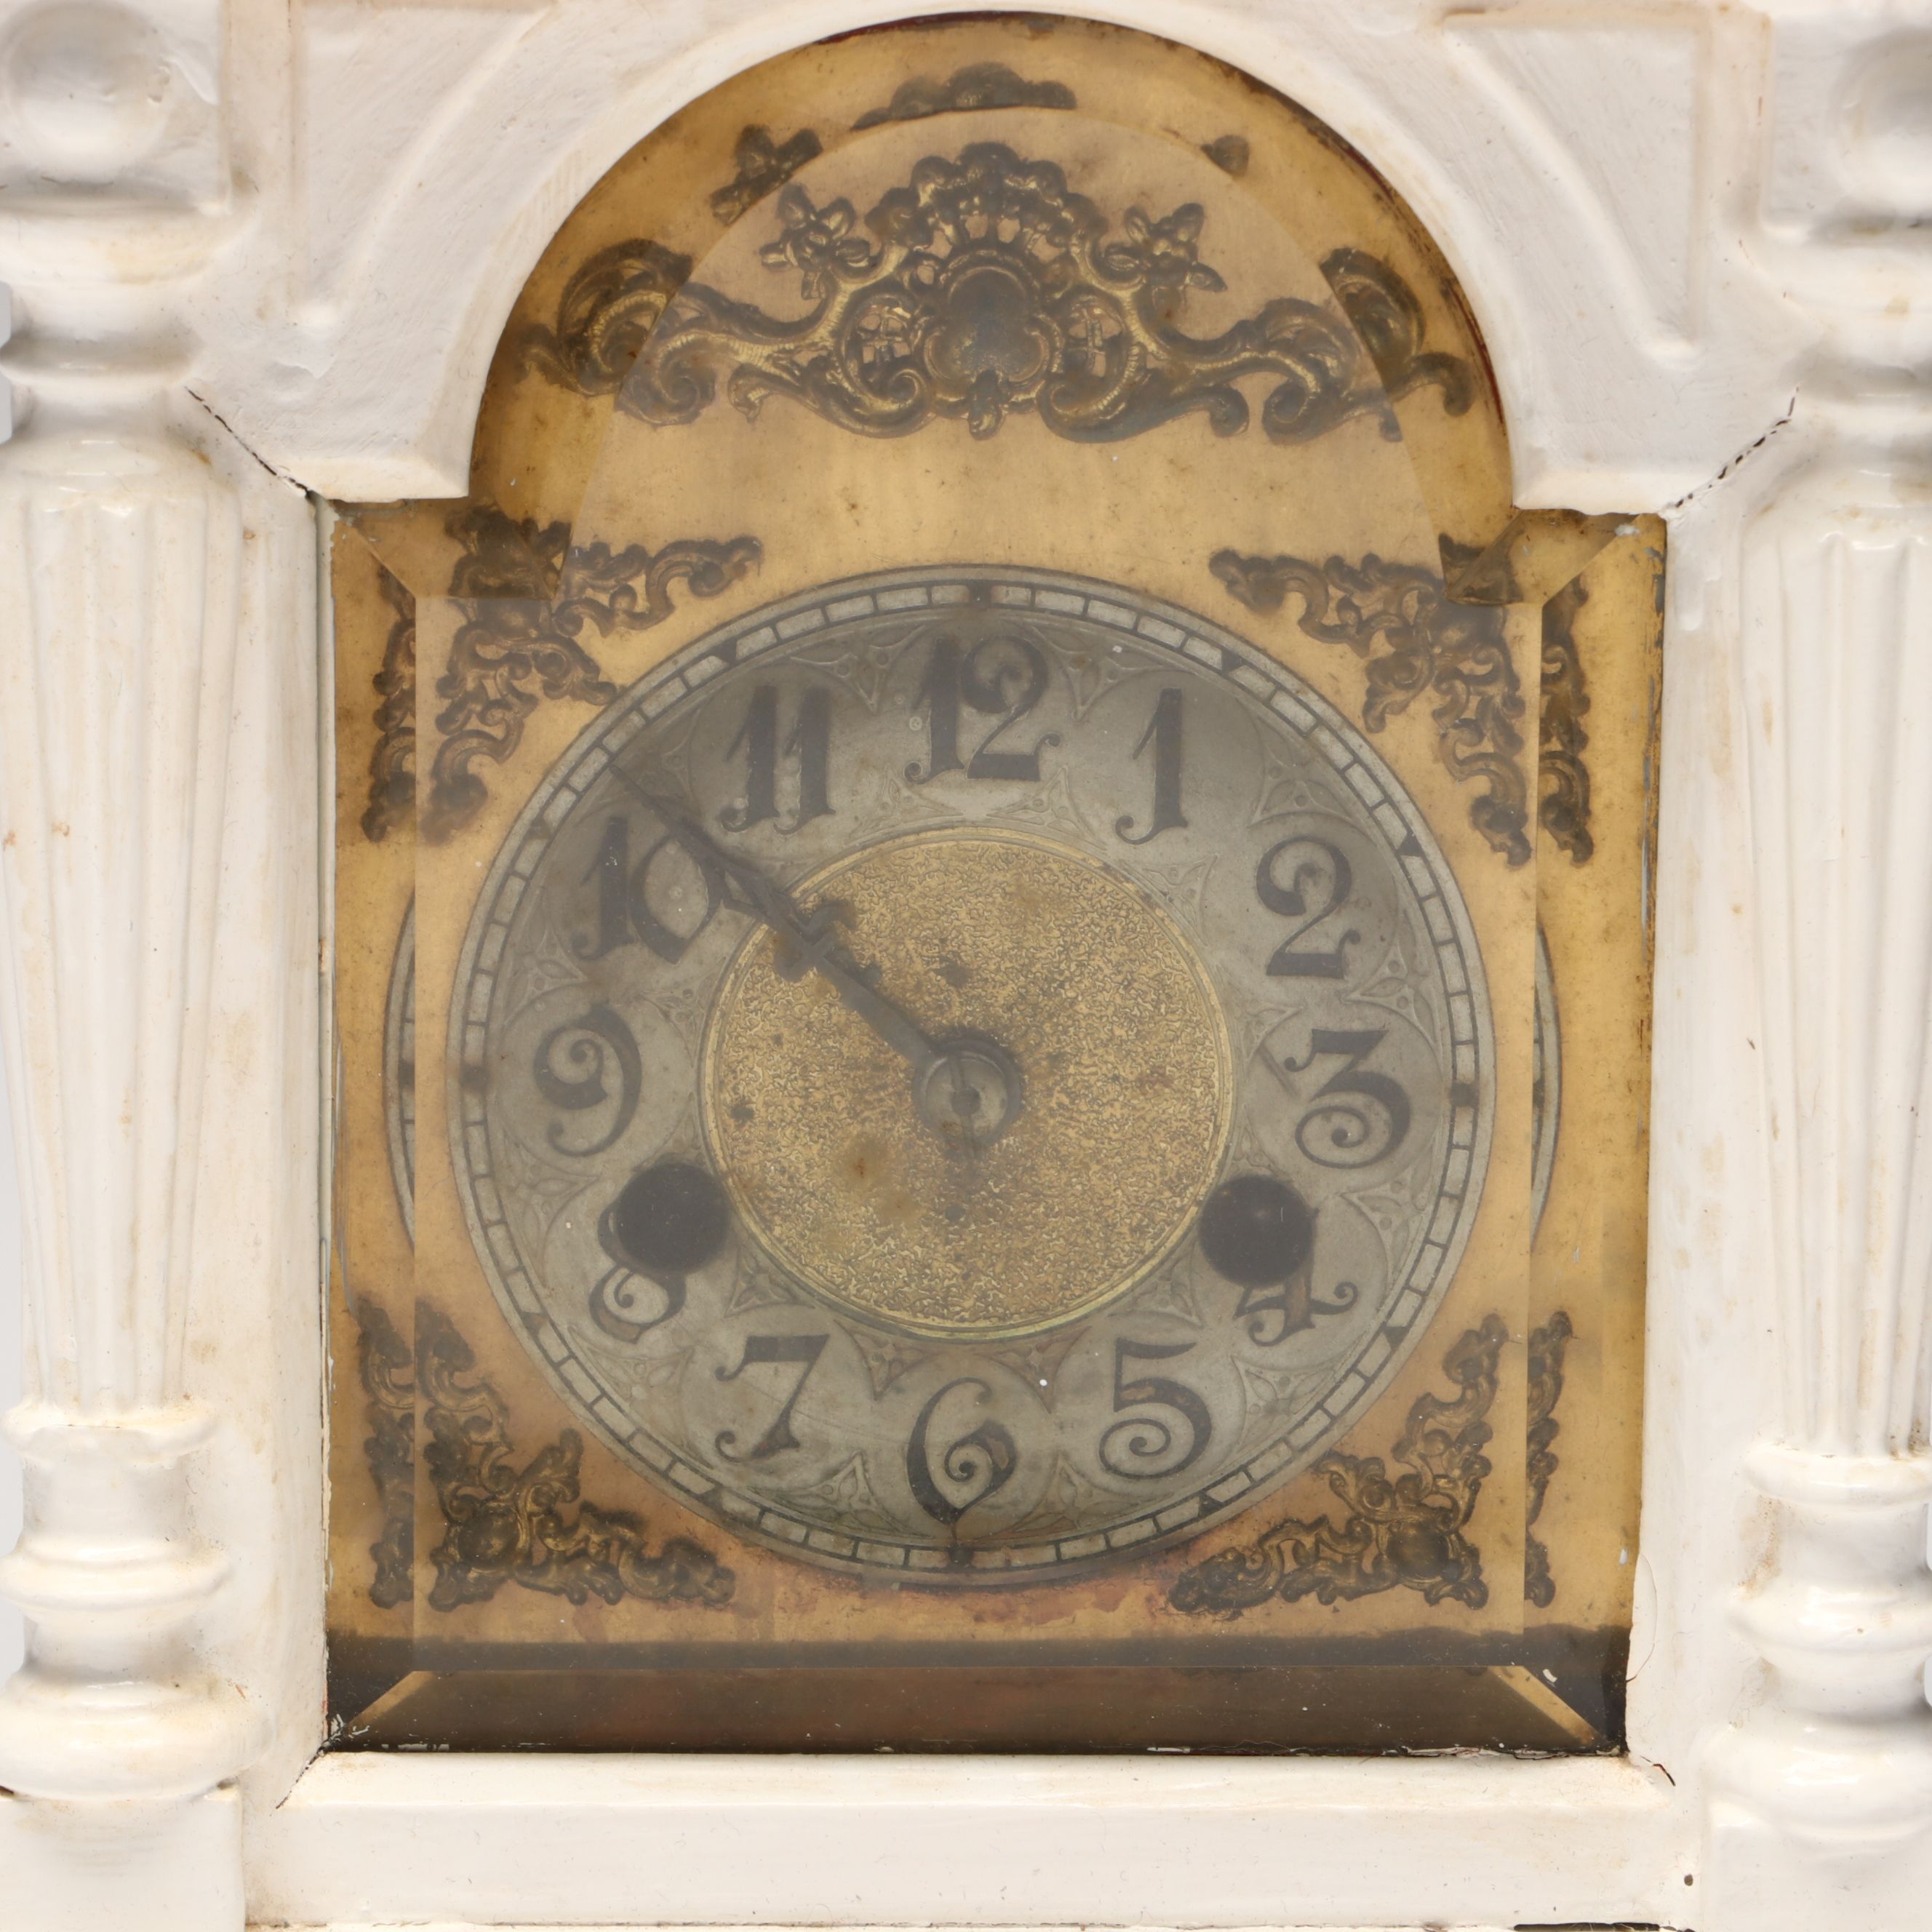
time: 9:51
